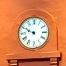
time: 9:49
